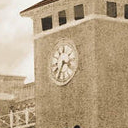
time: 3:34
